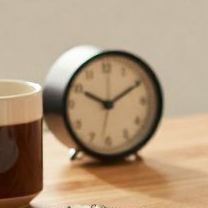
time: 10:10
